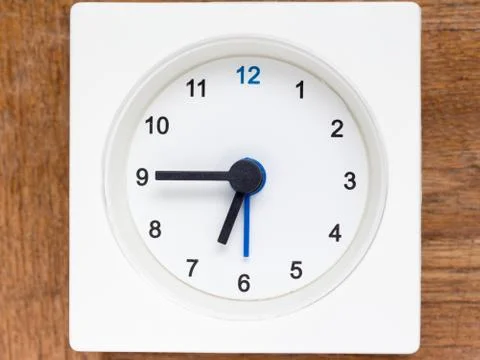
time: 6:45
